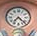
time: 7:22
